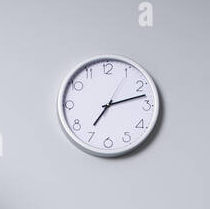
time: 7:12
